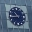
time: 10:44
